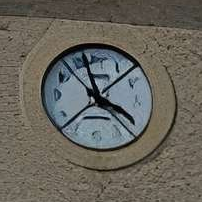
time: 3:56
